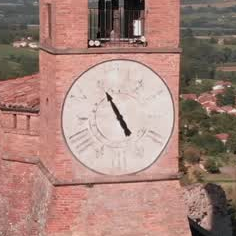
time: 4:54
